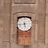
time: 5:43
